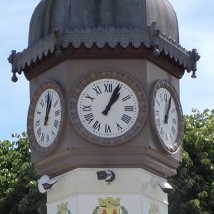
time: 1:04
